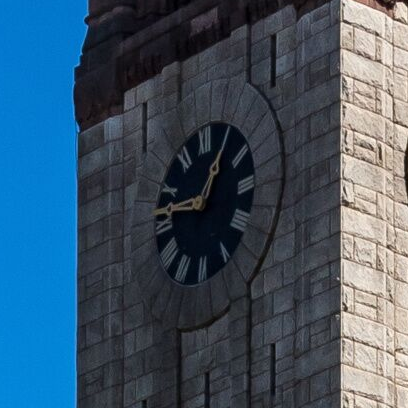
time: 12:46
